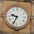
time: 9:34
